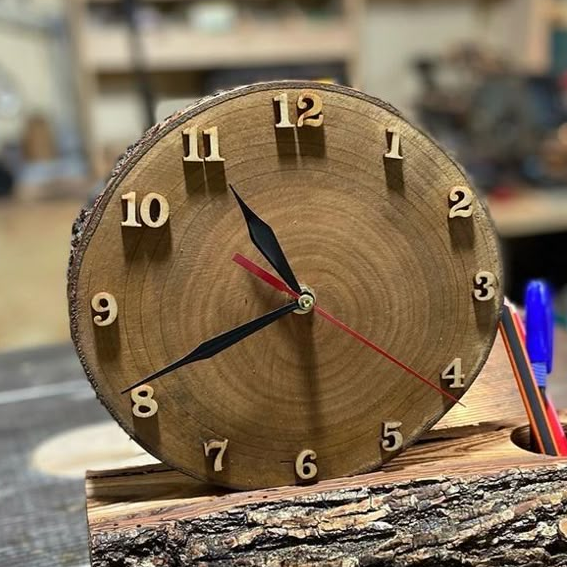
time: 10:41
